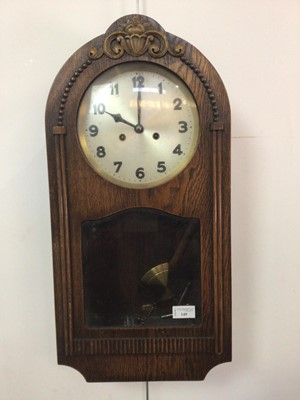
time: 10:00
